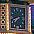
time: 7:42
